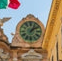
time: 1:08
